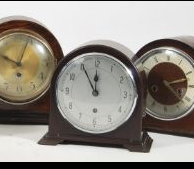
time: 11:55
